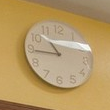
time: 10:44
